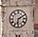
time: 6:10
